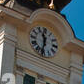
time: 11:32
